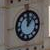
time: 12:06
